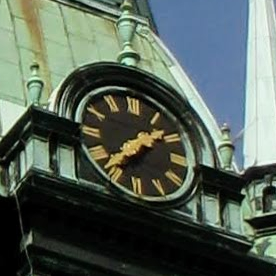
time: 1:36
